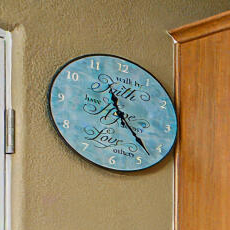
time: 11:22
